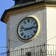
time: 2:47
